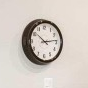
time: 10:13
